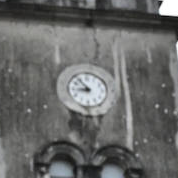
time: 8:53
